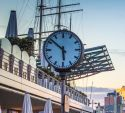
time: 5:51
